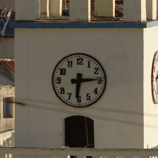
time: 6:14
